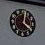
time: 4:02
